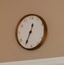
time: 12:34
